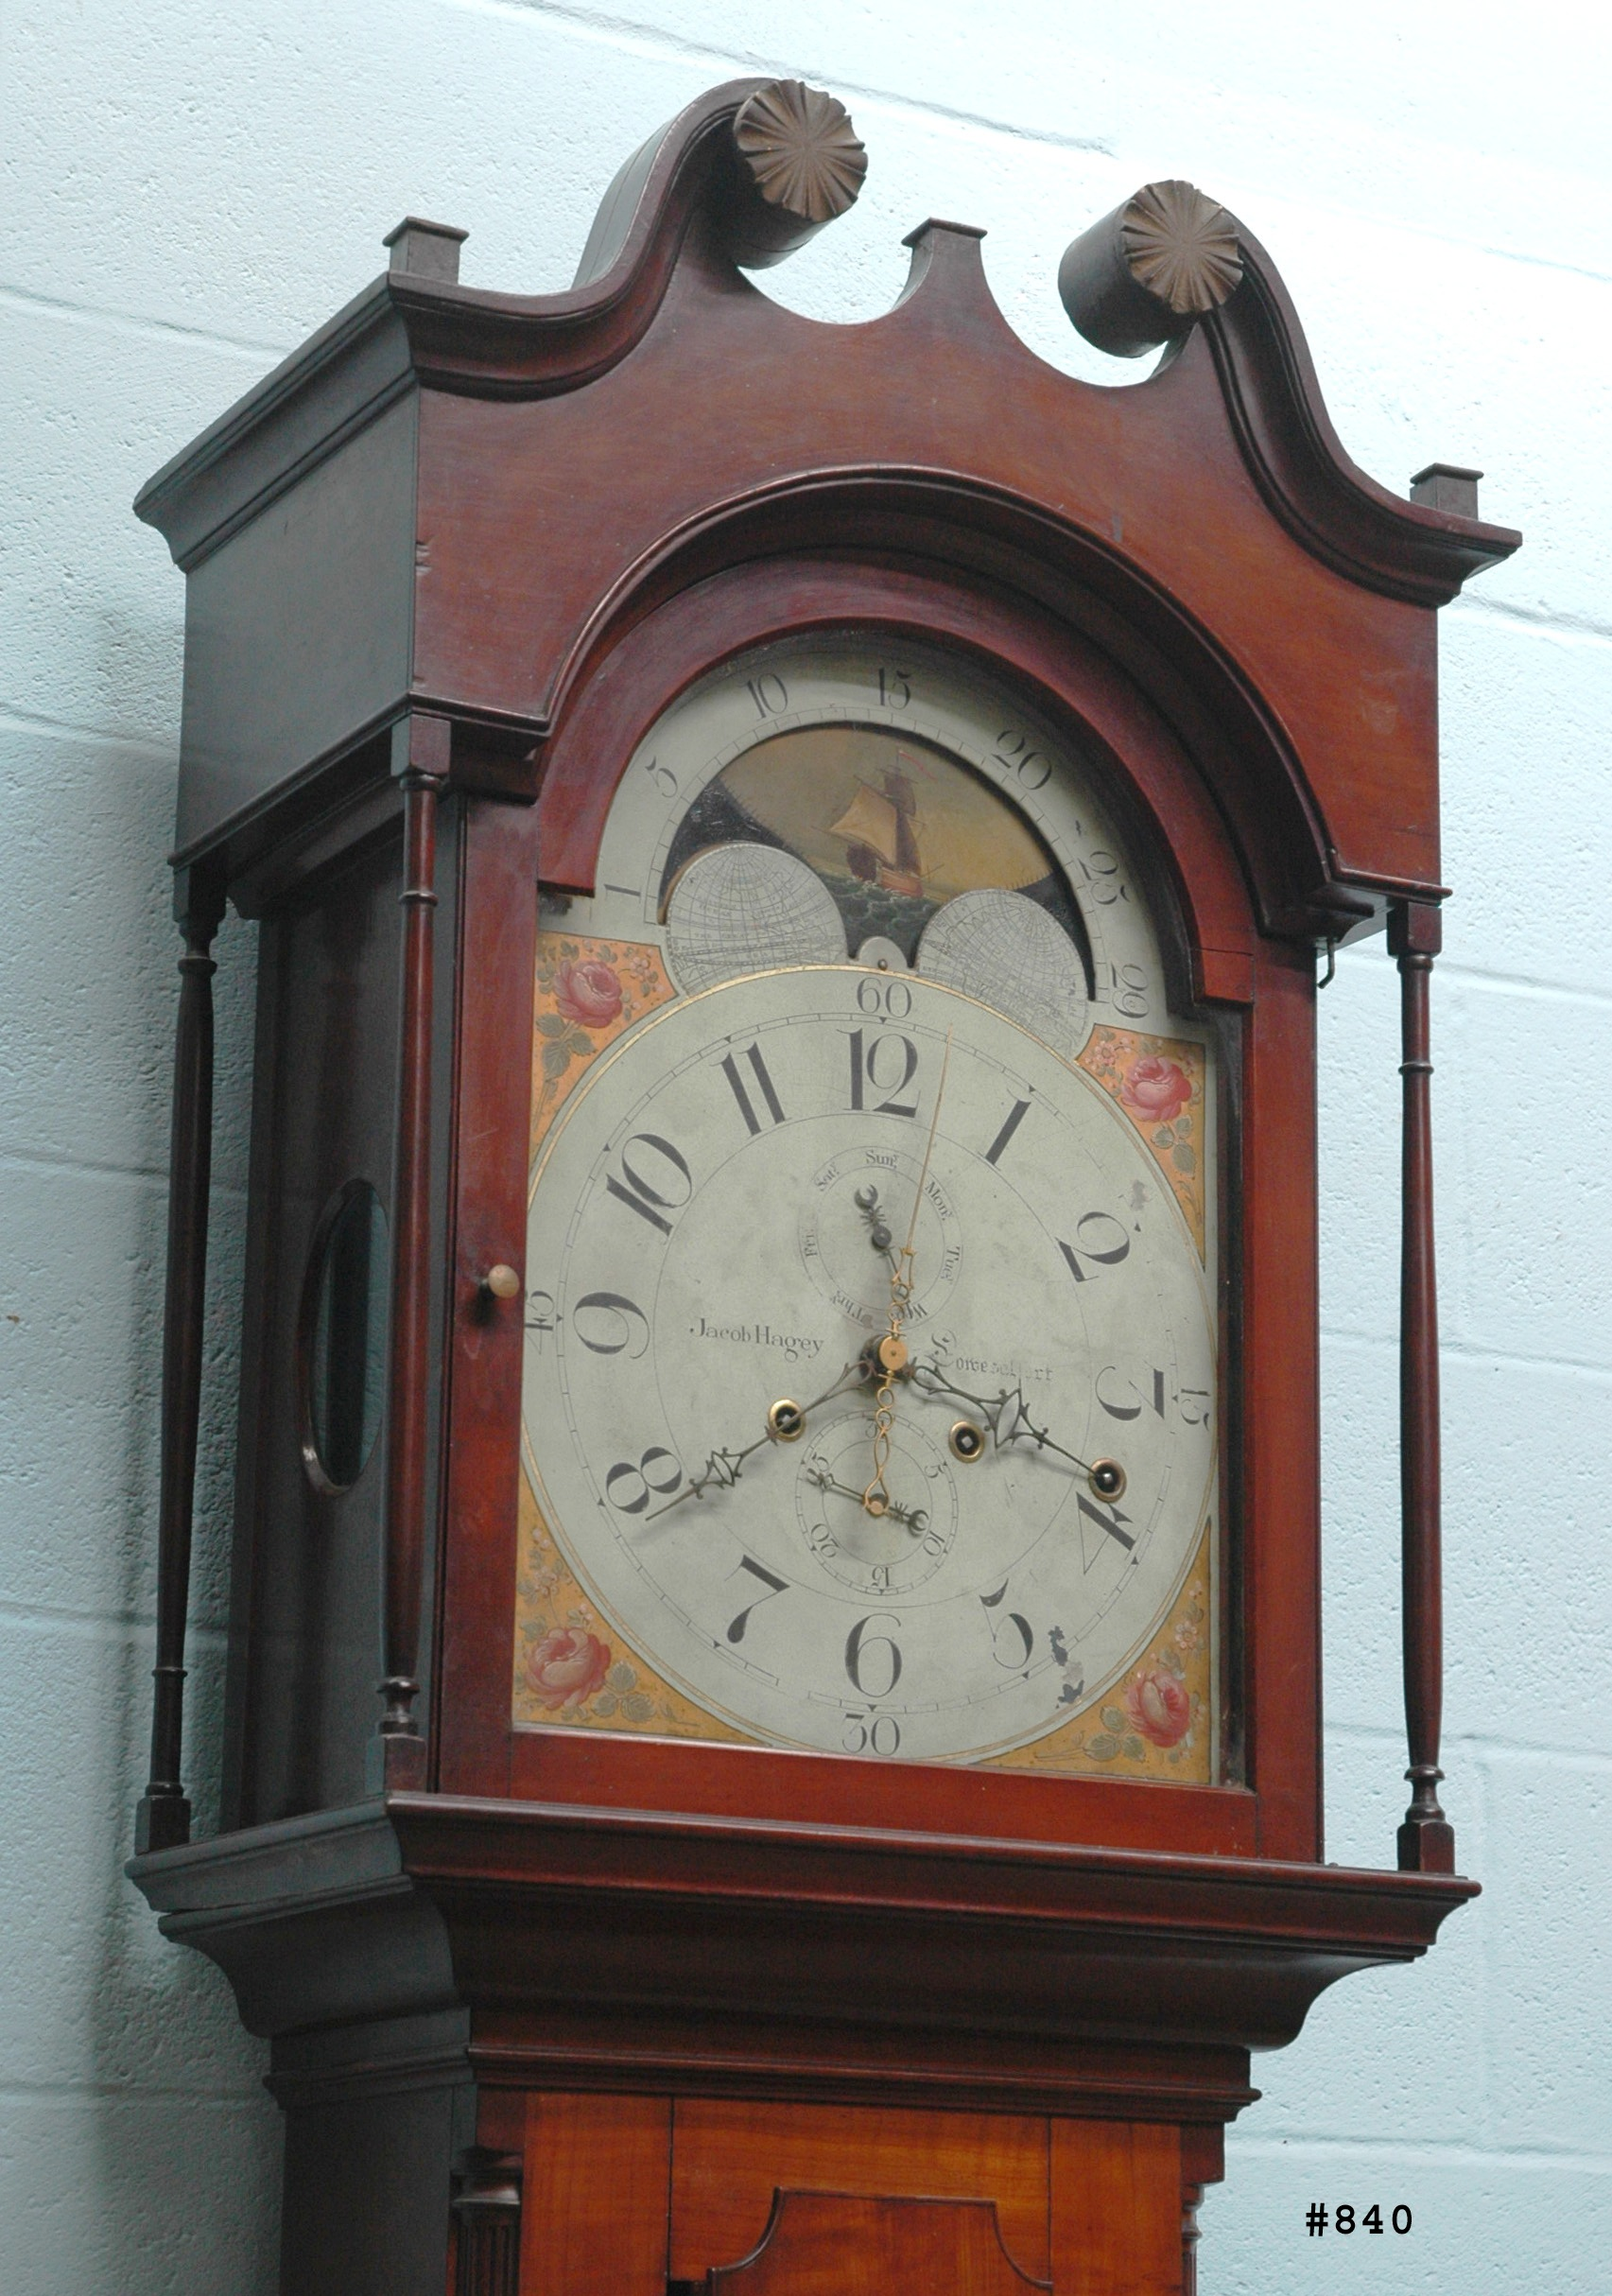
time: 3:39
